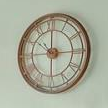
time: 10:14
